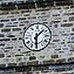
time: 1:30
